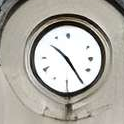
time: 10:24
